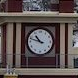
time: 10:48
